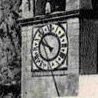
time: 9:53
